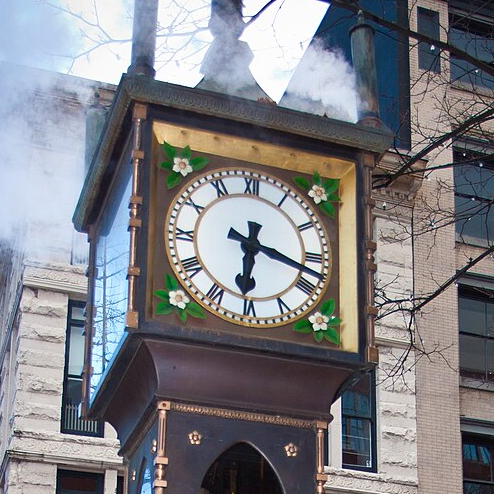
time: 6:17
